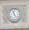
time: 11:24
